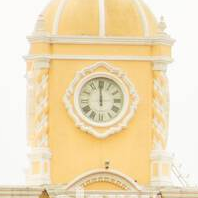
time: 11:59
